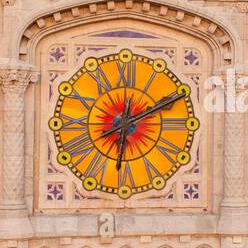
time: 6:10
